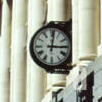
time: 3:01
